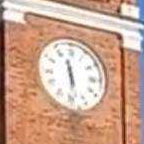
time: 11:28
